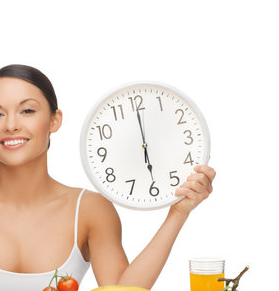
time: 5:59
